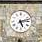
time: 5:12
